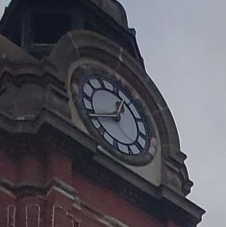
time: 1:42
